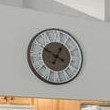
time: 12:49
